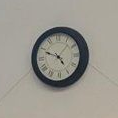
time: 4:49
